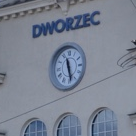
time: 11:28
